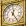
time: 12:24
